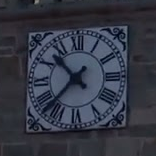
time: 10:37
